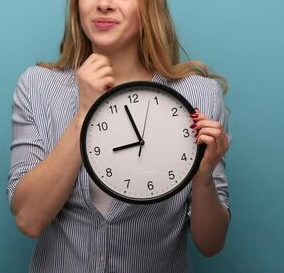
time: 8:57
